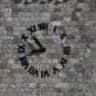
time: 10:42
